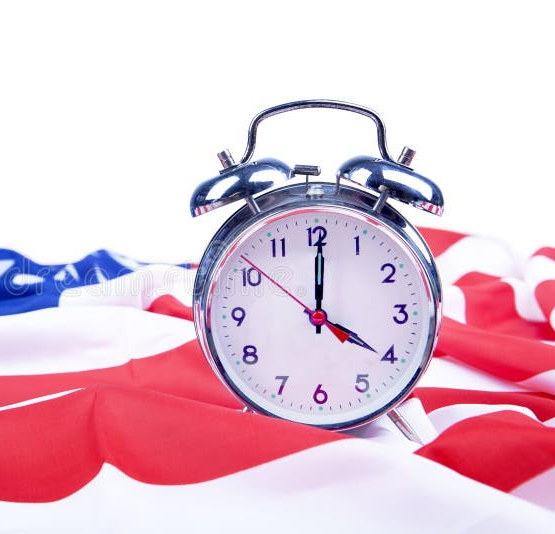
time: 4:00
